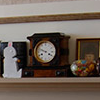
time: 3:48
